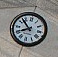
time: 7:52
